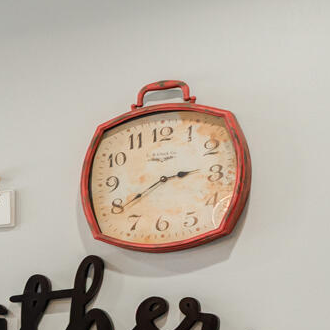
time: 2:39
